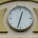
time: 12:32
